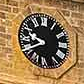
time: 9:40
